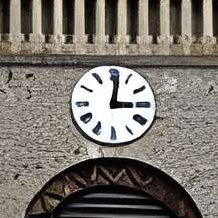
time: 3:01
